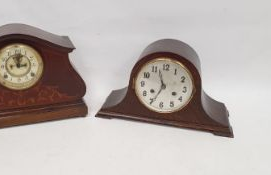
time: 11:35
